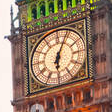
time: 6:03
